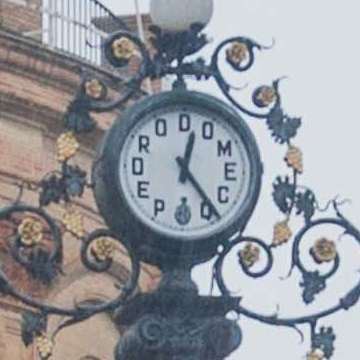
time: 12:23
